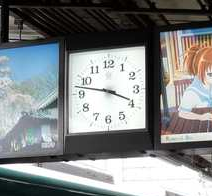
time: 3:47
